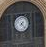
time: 7:22
